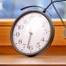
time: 6:32
